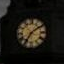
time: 7:09
